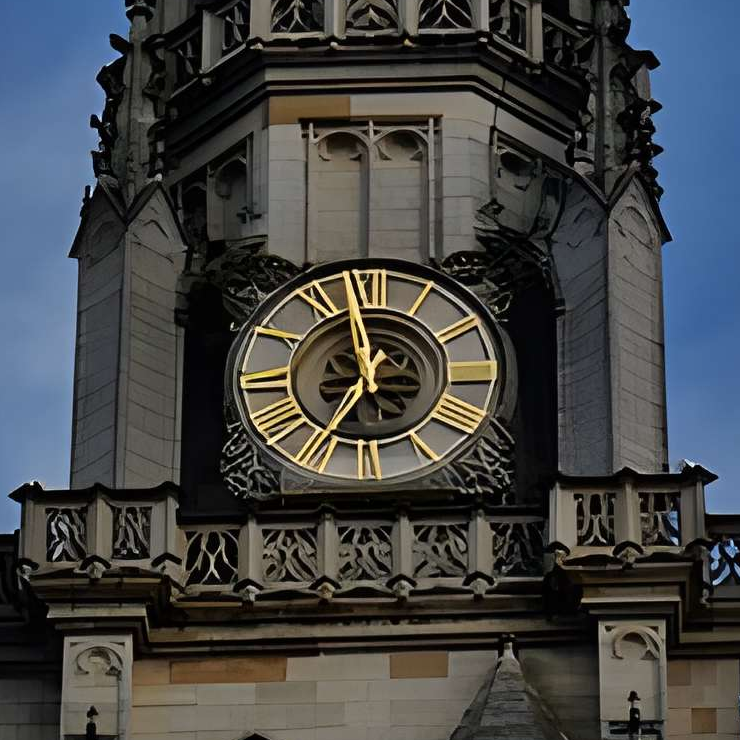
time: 6:58
